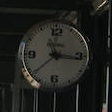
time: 11:16
